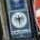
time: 2:29
